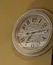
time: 7:13
